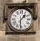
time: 1:30
